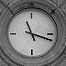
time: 11:17
